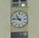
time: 10:46
